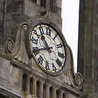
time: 10:40
